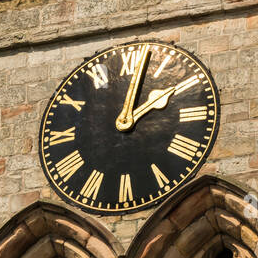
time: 2:02
